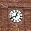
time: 12:41
